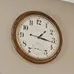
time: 1:16
